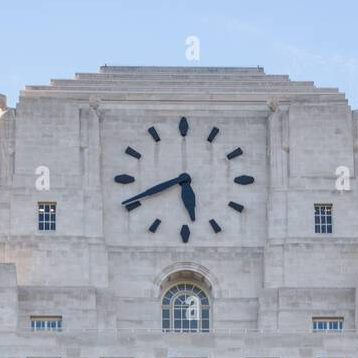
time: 5:41
